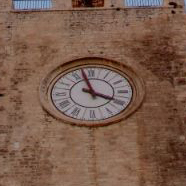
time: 3:57
